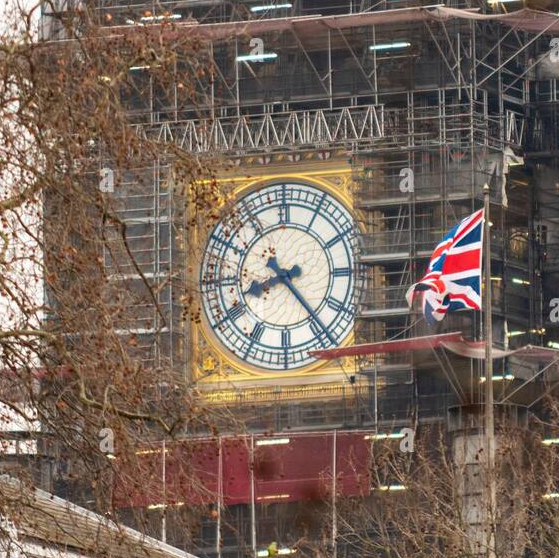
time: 8:23
